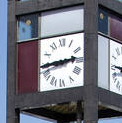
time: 2:44
